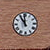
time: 10:59
